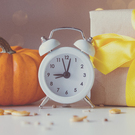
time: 9:02
